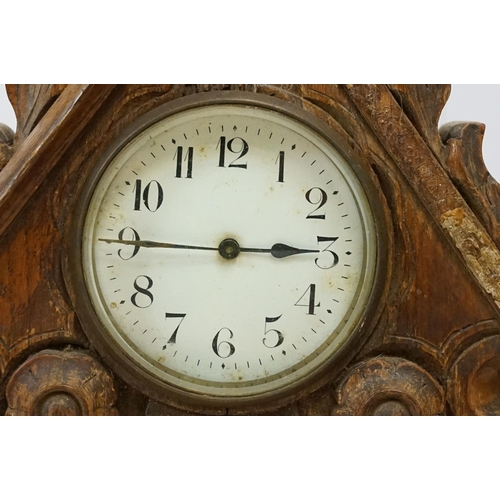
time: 2:45
